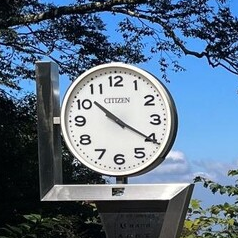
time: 10:20
